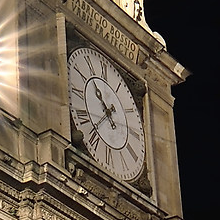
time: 10:36
